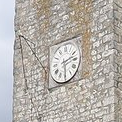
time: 2:29
